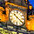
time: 10:21
